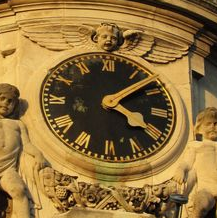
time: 4:07
